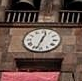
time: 12:32
